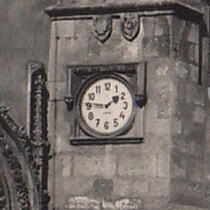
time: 1:46
